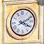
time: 4:10
